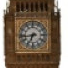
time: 6:43
